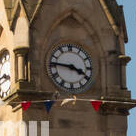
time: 3:46
